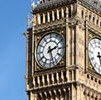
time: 2:27
